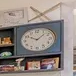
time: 10:07
